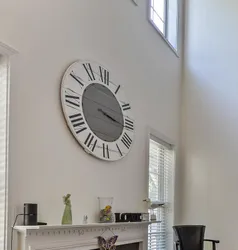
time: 3:16
